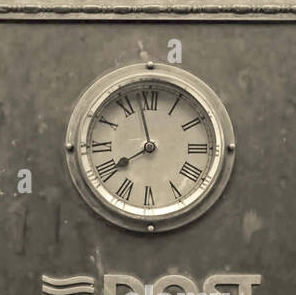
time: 7:57
